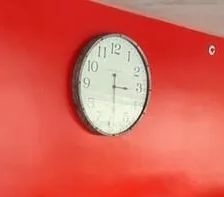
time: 3:29
